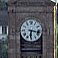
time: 6:16
